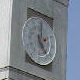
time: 5:00
